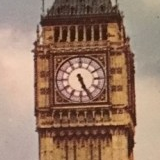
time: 5:26
